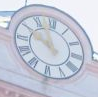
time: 9:57
